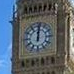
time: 12:01
